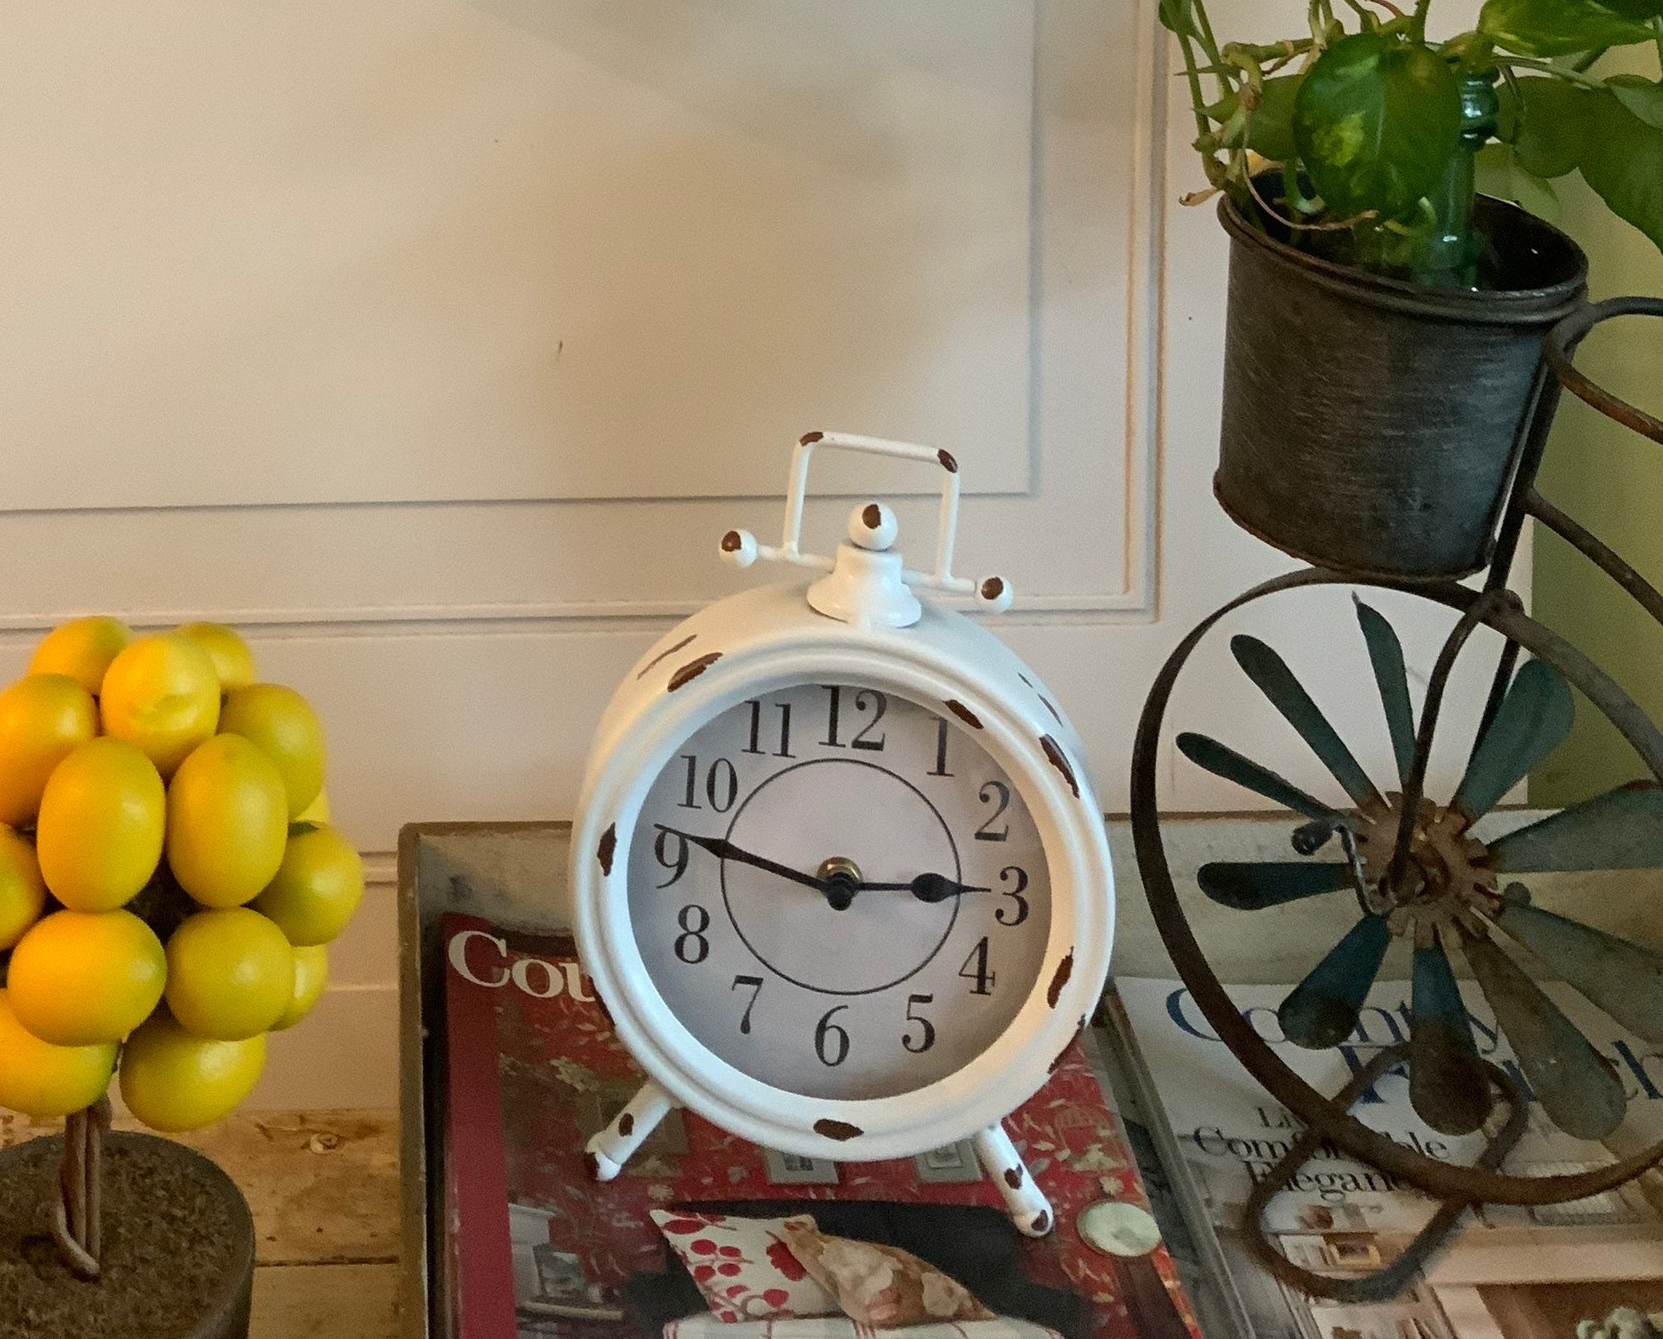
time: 2:46
